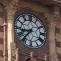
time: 8:36
